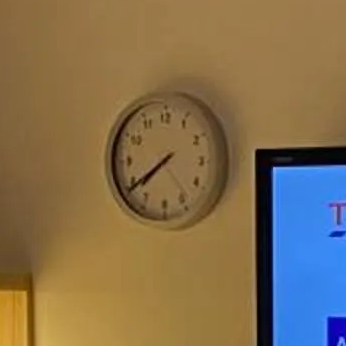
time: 7:39
